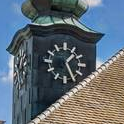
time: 1:25
